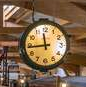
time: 11:43
